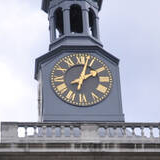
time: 2:03
